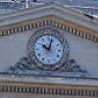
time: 10:02
